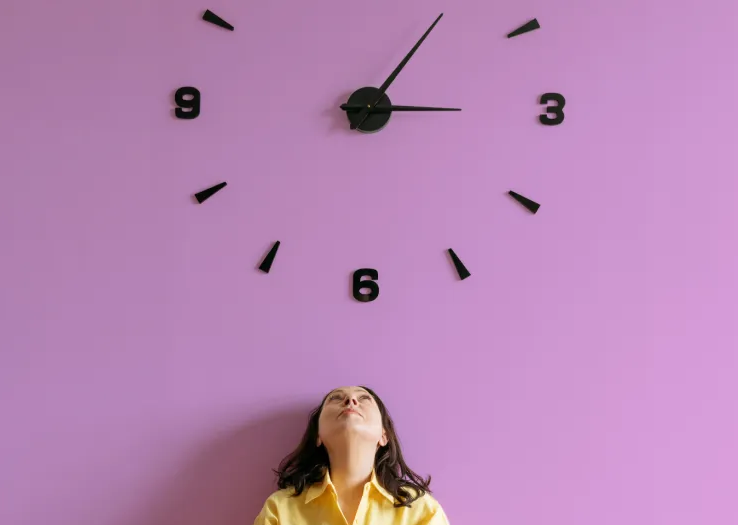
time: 3:05
